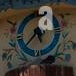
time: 5:38
